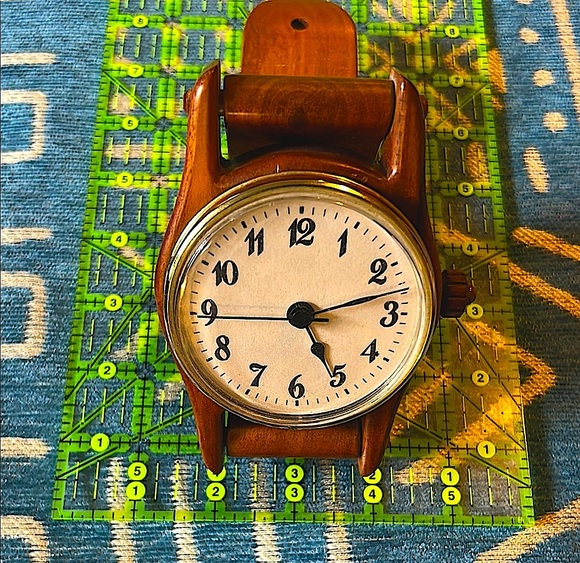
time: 5:12
